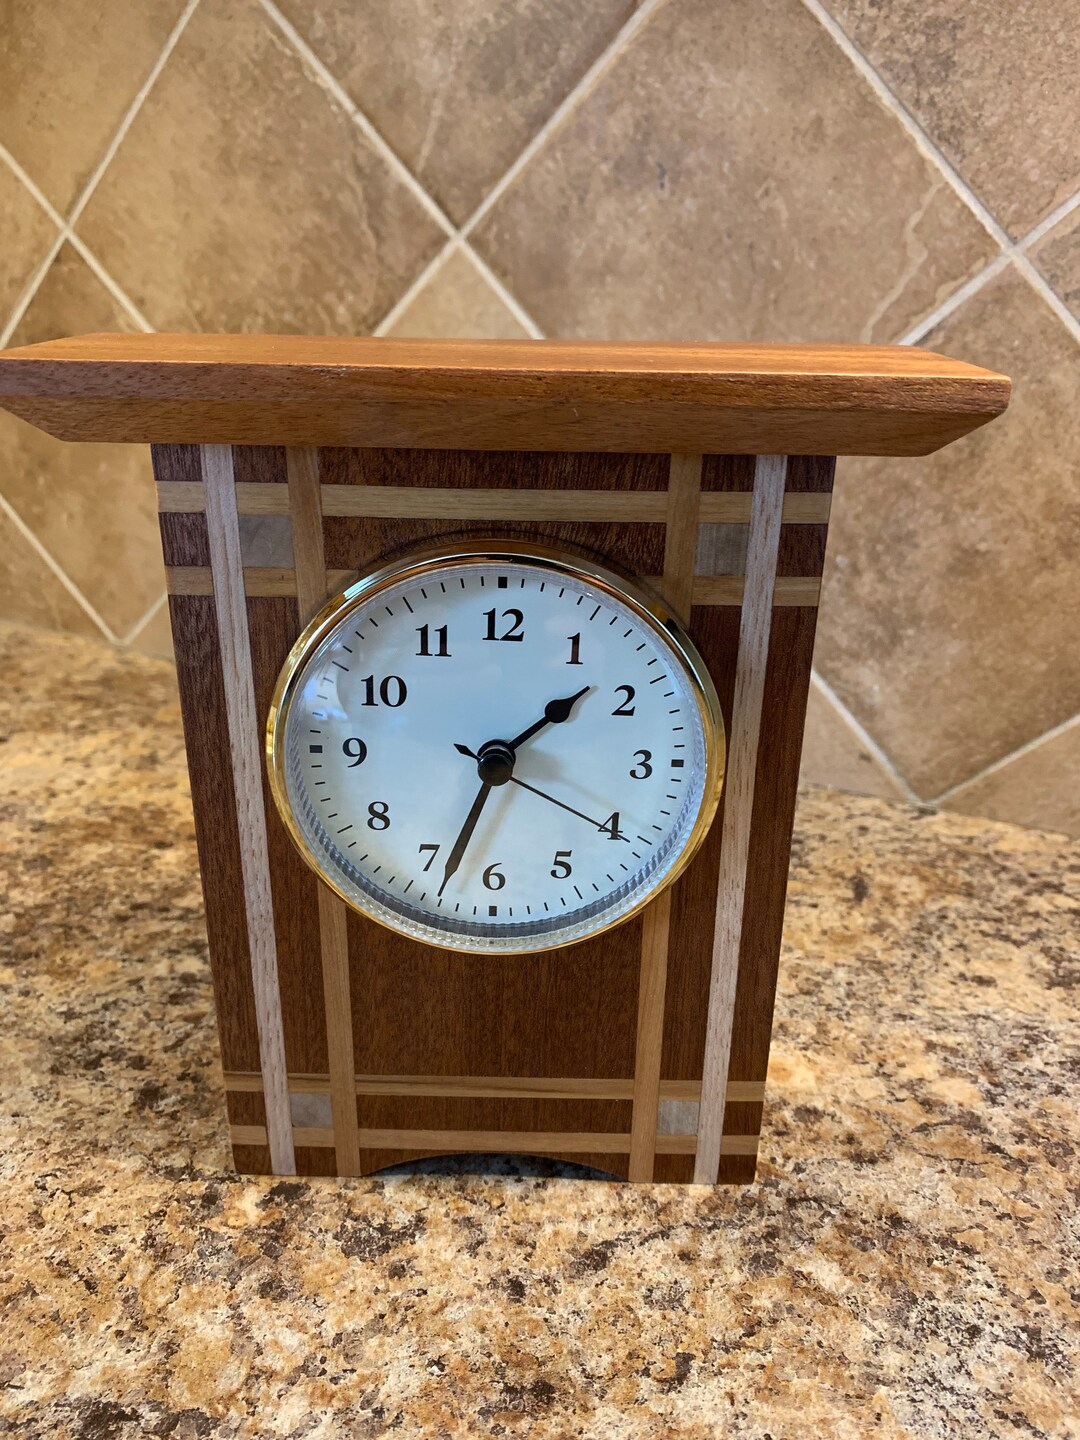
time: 1:33
